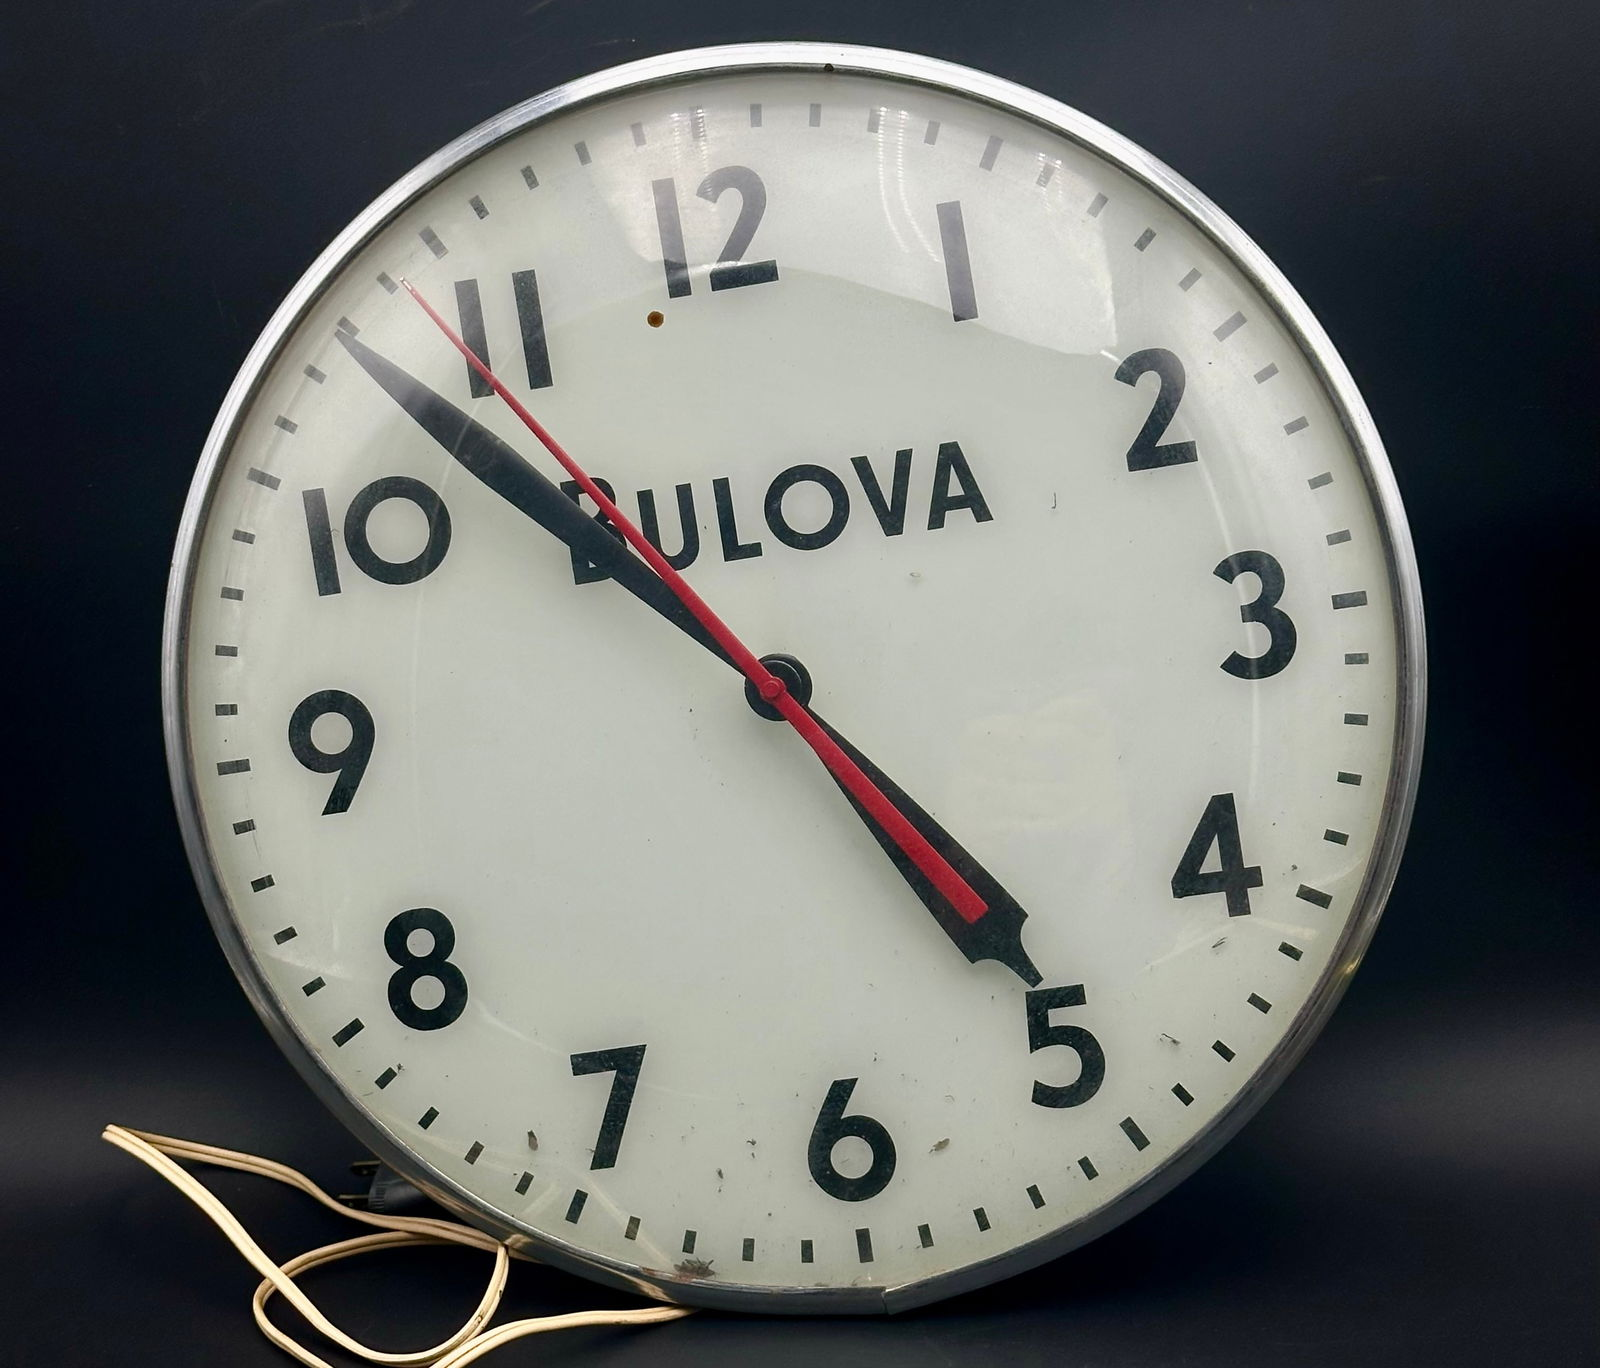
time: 4:52
